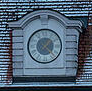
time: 1:22
